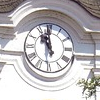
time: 10:58
